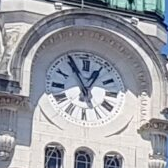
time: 12:55
